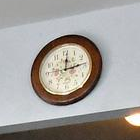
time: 12:13
